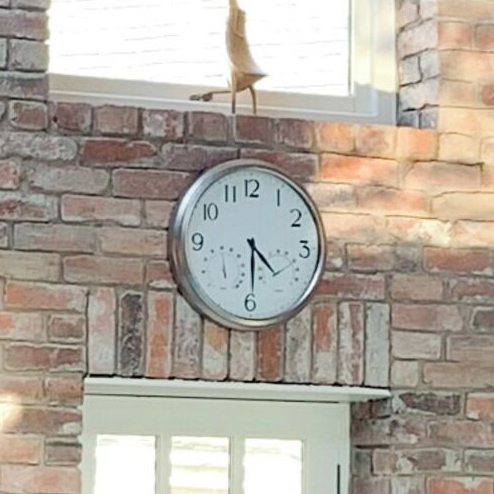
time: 4:29
